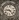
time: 9:23
